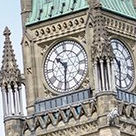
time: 10:31
